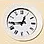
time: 12:44
